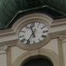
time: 11:35
